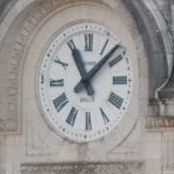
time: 11:07
